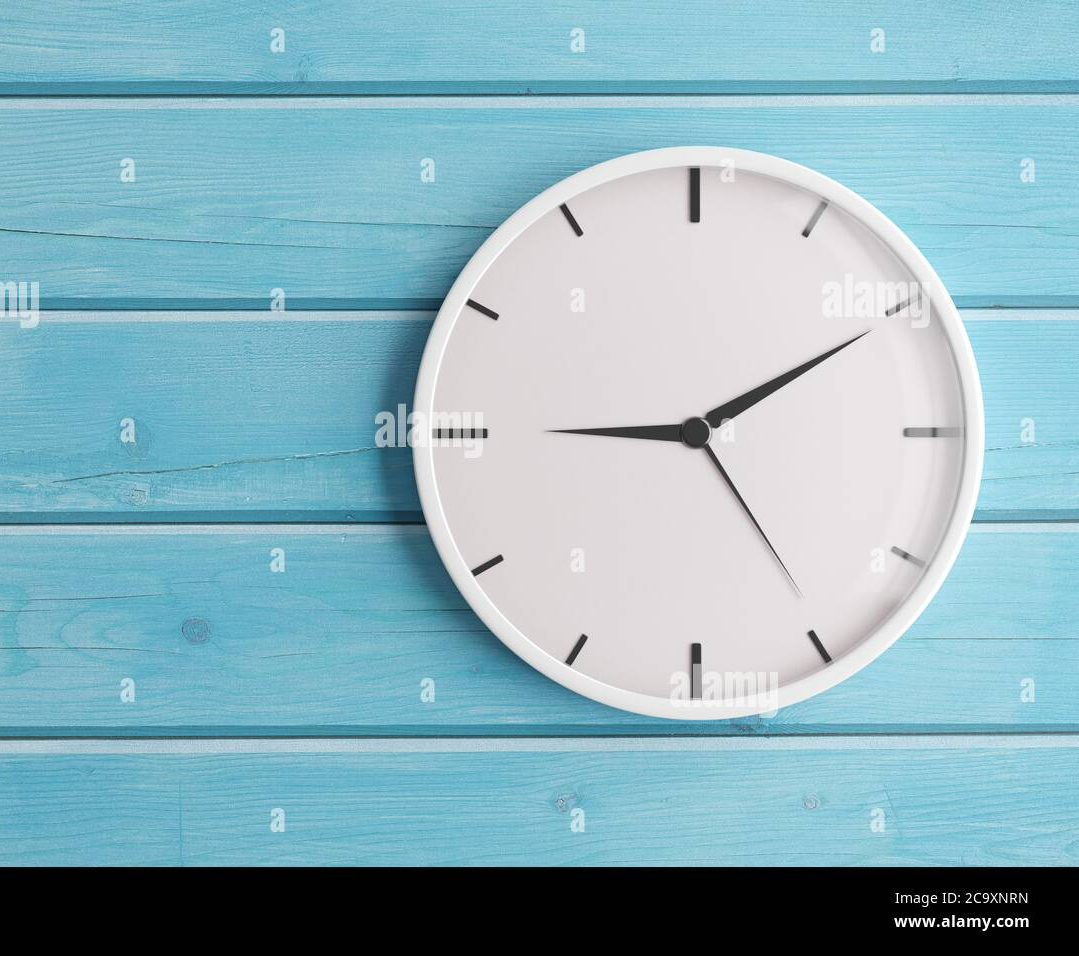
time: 9:10
